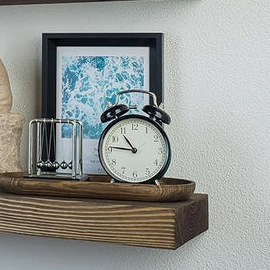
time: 10:46
